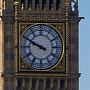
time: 9:49
